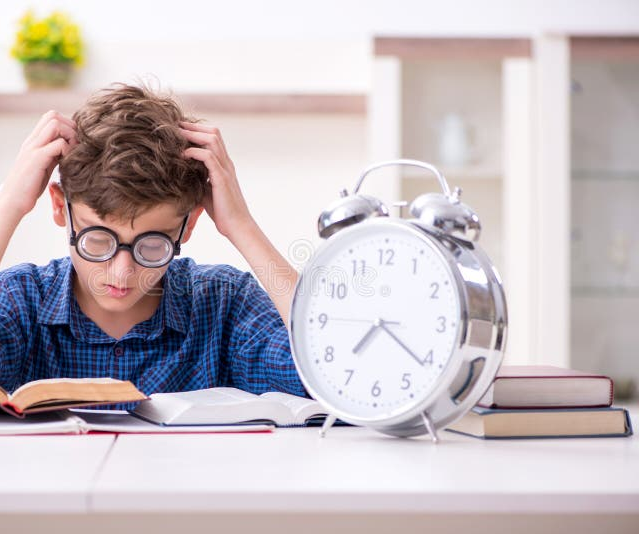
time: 7:21
